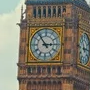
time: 2:54
